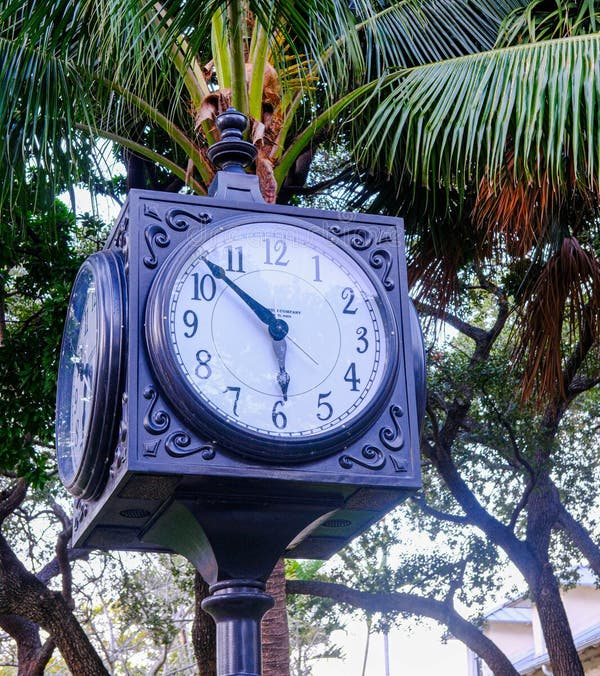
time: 5:52
